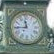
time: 11:44
